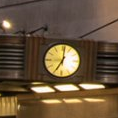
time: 7:01
